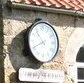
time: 10:40
